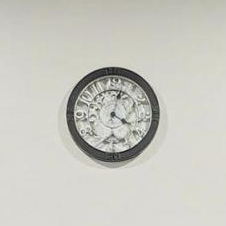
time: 4:02
